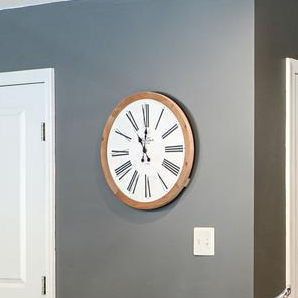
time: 11:00
